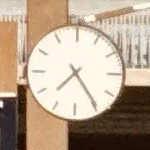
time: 7:24
